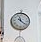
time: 11:21
